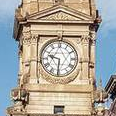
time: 9:31
